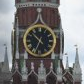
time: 10:33
